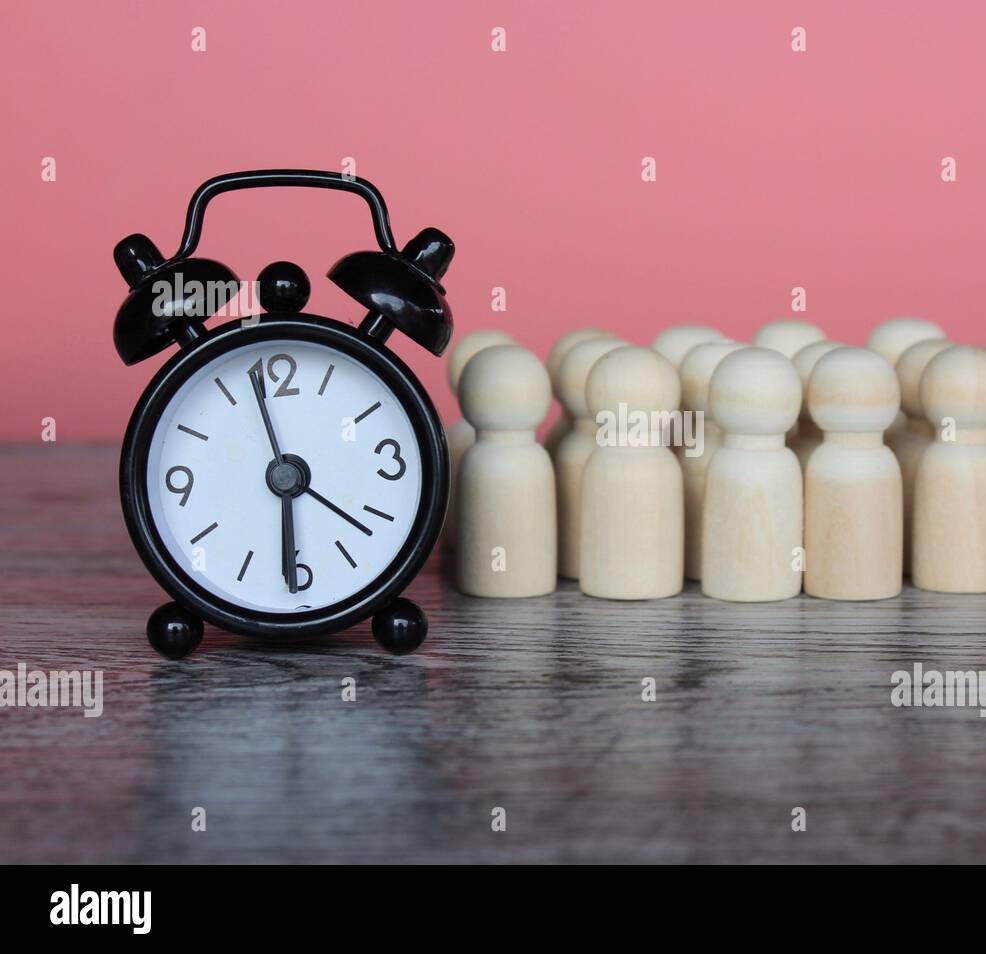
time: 6:21
